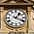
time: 1:18
